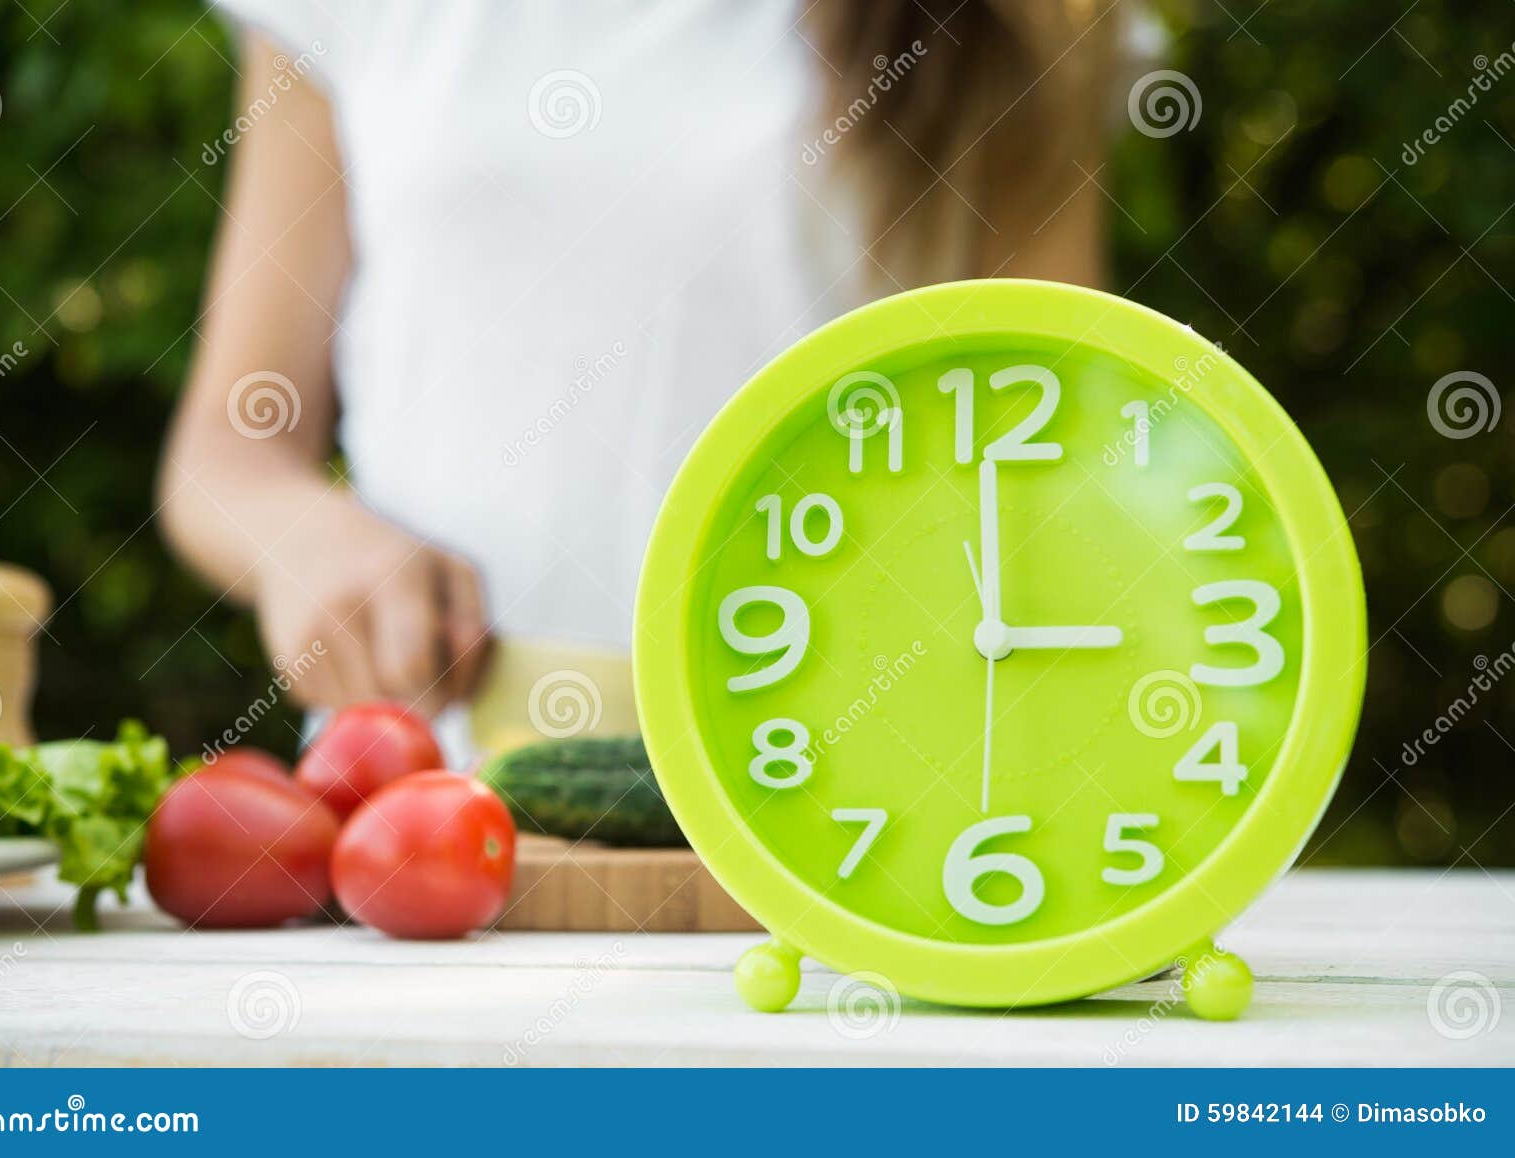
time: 2:59
